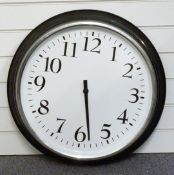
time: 5:28
